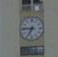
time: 6:45
